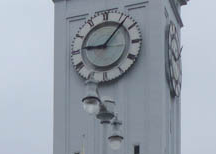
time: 9:07
